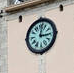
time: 3:01
